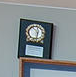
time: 10:32
